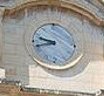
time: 9:42
